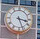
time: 3:26
